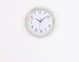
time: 10:08
